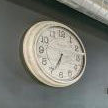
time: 6:34
